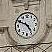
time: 4:49
